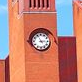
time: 2:55
